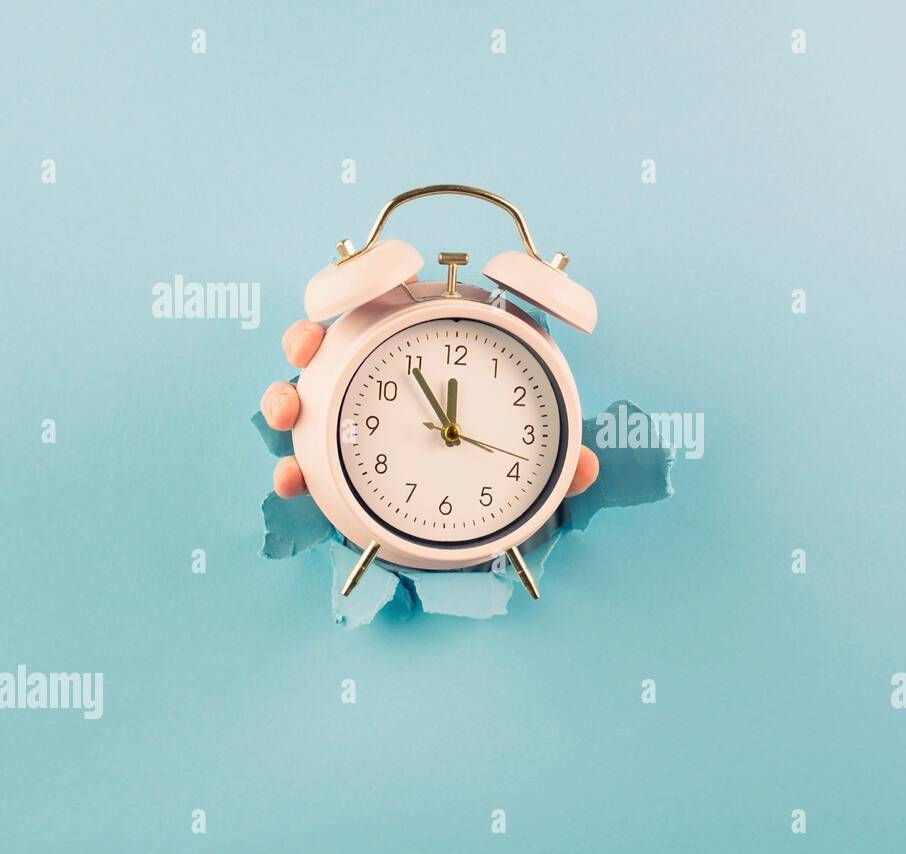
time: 11:54
